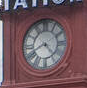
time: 4:40
